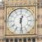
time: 12:28
